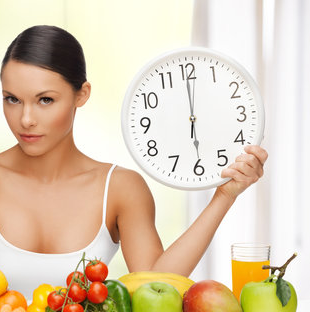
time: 5:59
